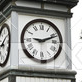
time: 9:11
